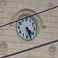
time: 4:26
